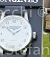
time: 1:51
